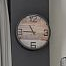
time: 10:45
